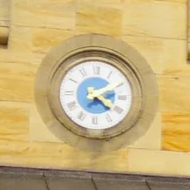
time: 2:21
